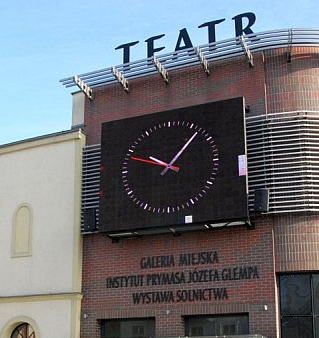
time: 10:07
